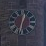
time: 12:32
